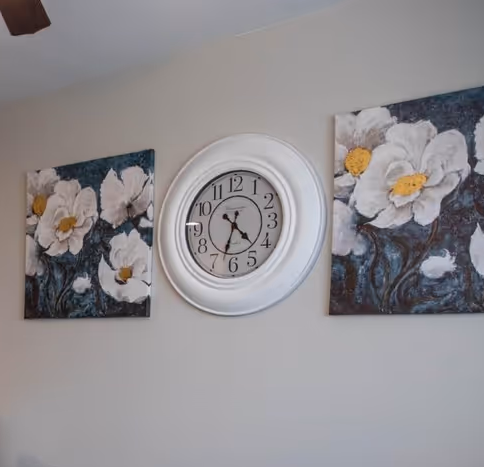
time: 4:32
